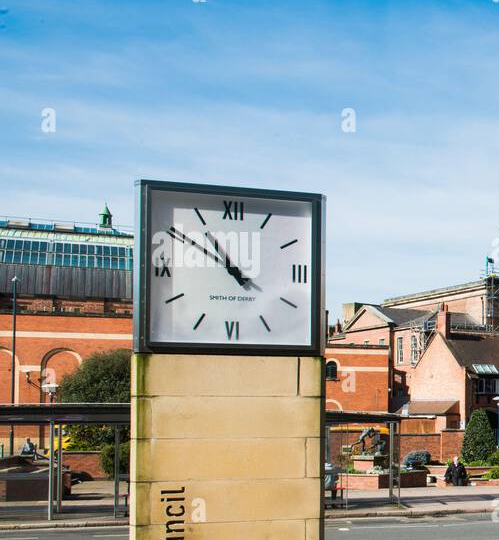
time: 10:50
